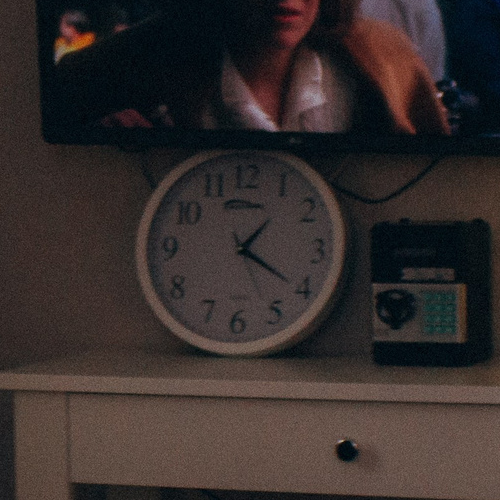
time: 1:20
